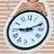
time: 9:11
